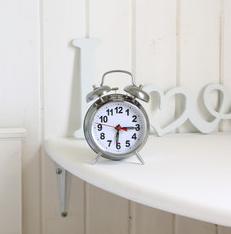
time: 6:14
